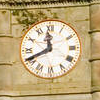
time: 11:40
